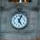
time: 5:03
